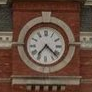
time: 7:22
